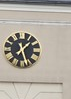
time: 1:26
